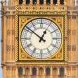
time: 12:51
